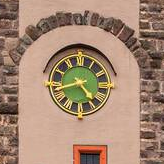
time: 4:42
